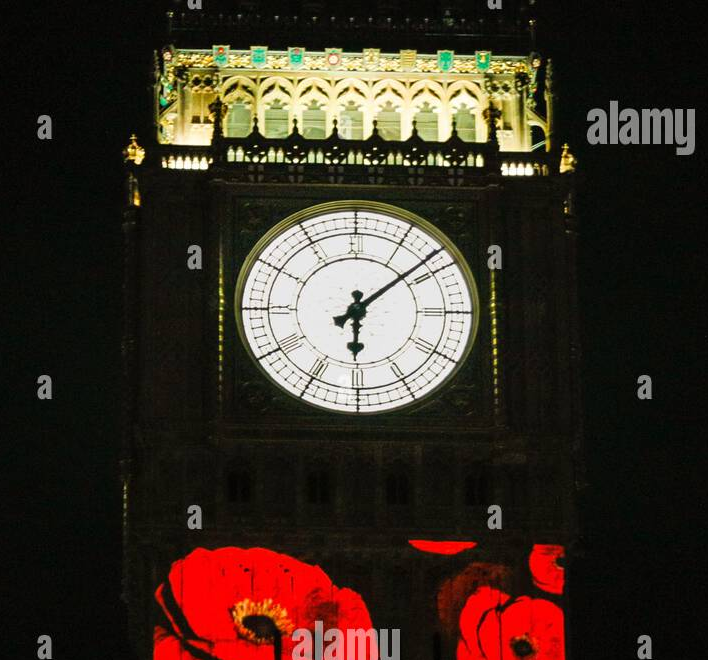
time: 6:08
